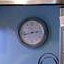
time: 2:42
